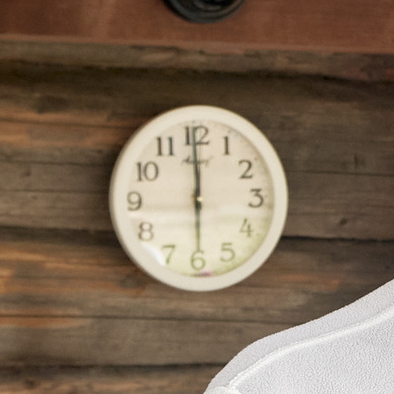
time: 5:59
